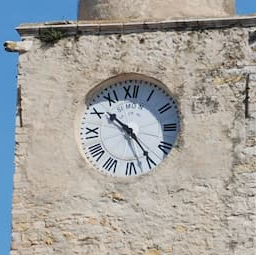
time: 10:24
